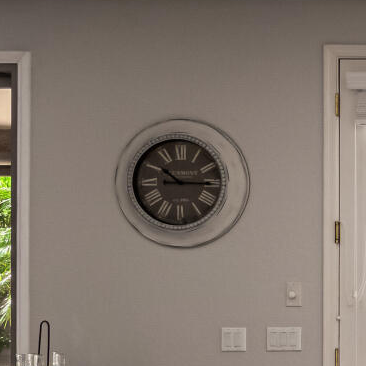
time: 10:14
